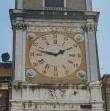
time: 1:47
